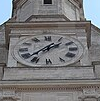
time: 1:37
